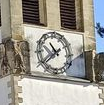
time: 10:37
